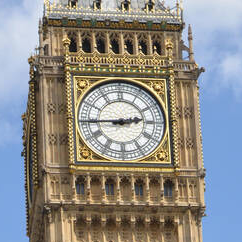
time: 2:44
